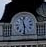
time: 11:29
